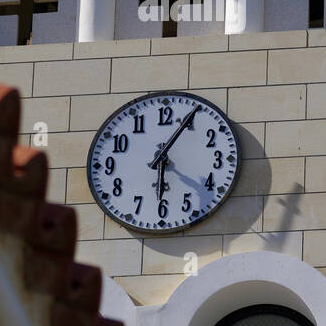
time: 6:05
